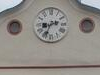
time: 2:33
